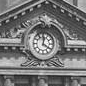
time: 12:20
